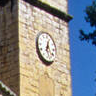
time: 6:27
